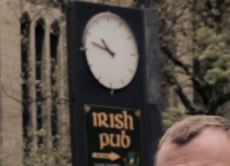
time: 10:47
